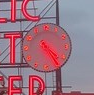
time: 4:24
